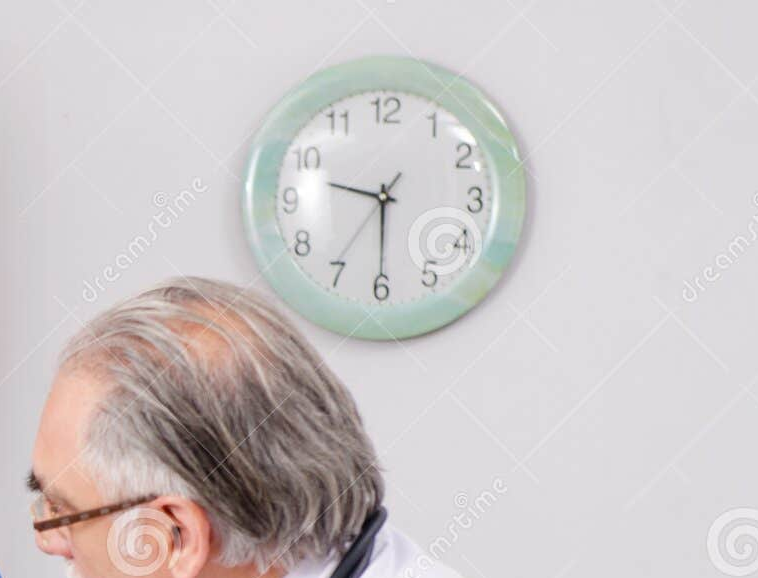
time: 9:30
